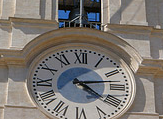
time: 4:13
